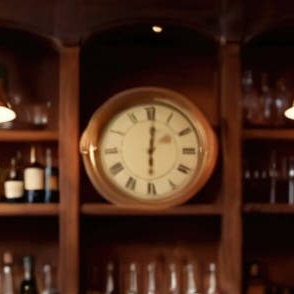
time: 6:00
